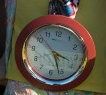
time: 3:26
